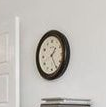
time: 1:24
